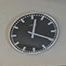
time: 12:19
